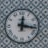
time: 12:16
